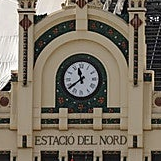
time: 11:38
